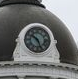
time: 10:26
